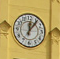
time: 12:06
